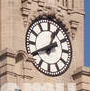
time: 12:40
